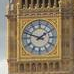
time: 1:48
